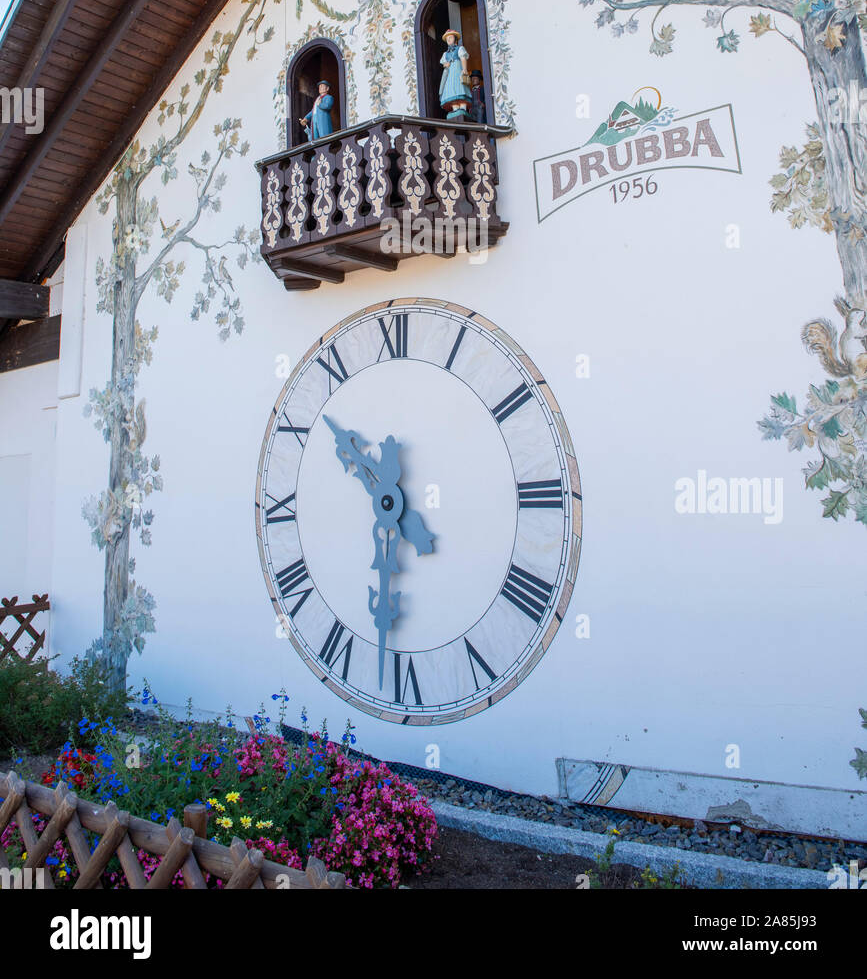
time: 10:31
